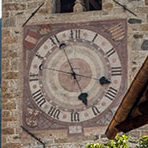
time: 4:56
